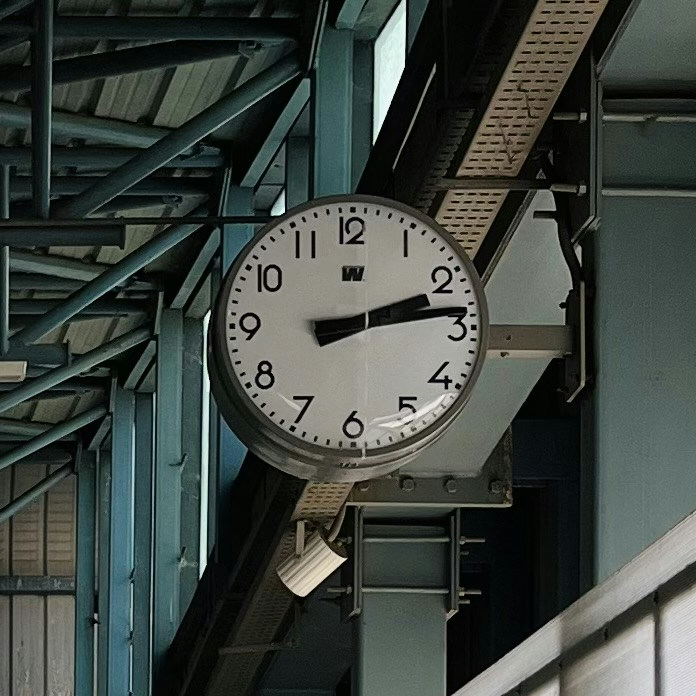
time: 2:13
